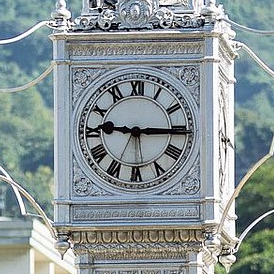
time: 9:15
